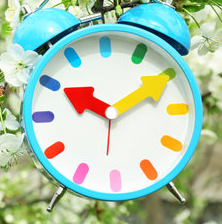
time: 10:10
